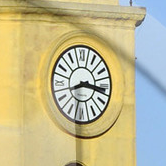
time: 8:16
